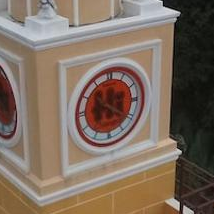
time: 7:20
